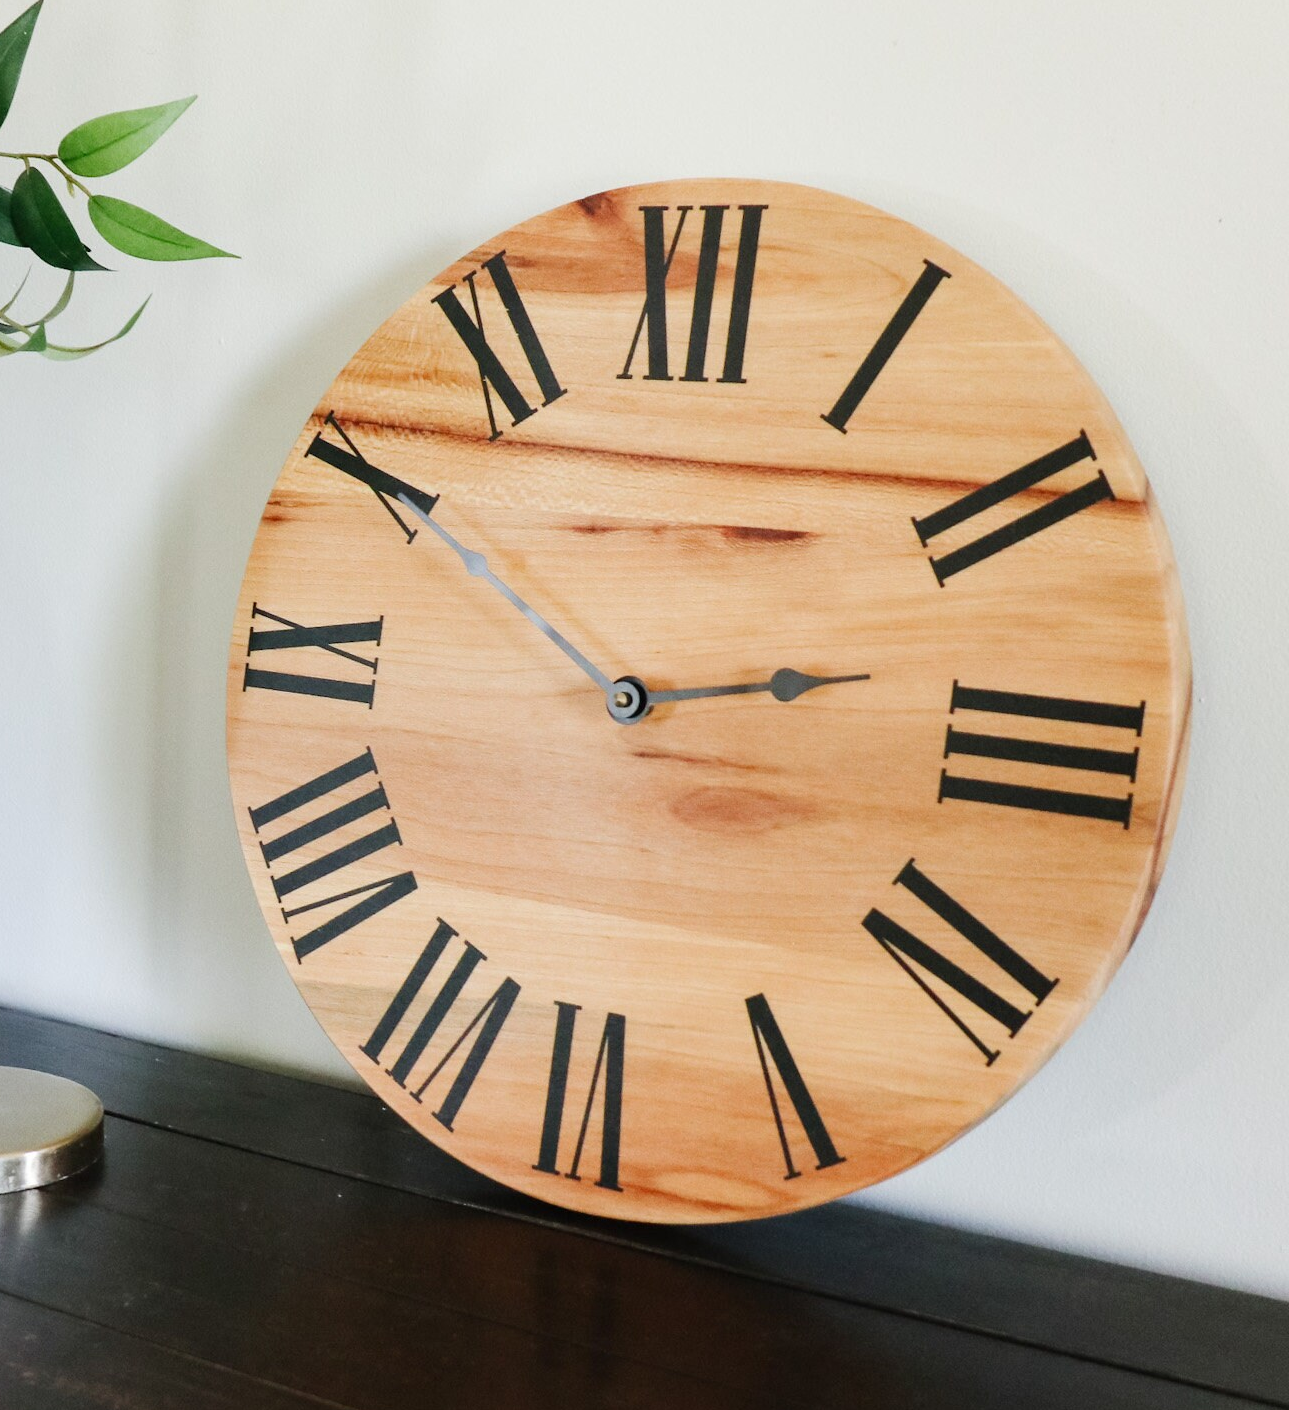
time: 2:50
